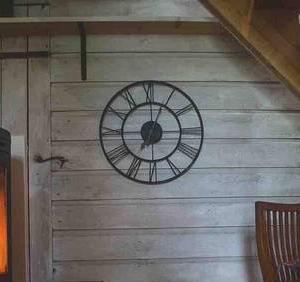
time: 7:04
